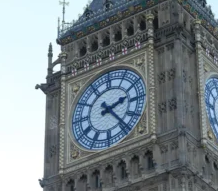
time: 2:23
